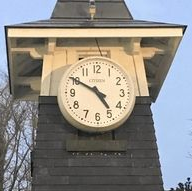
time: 4:50
